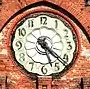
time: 5:22
